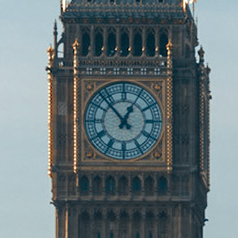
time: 12:53
